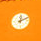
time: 12:11
